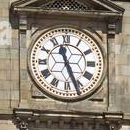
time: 11:26
